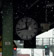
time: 11:42
